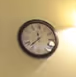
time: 11:37
